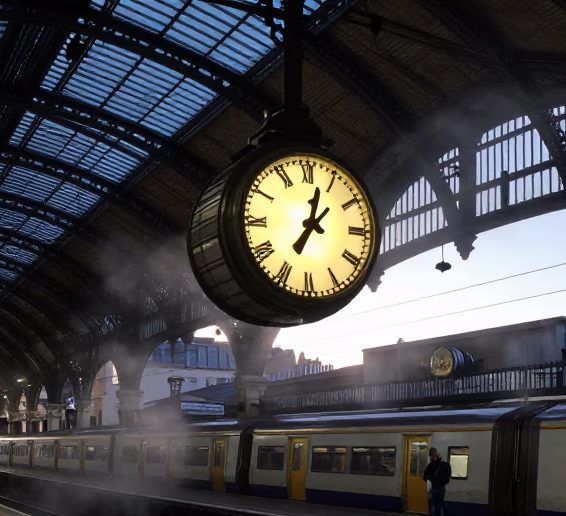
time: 7:02
